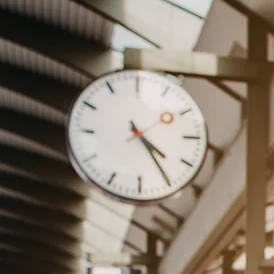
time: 4:24
